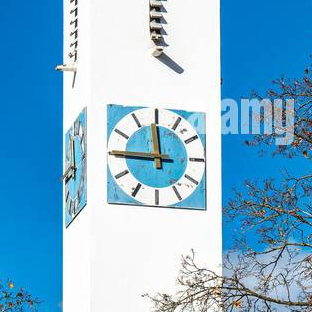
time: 11:45
